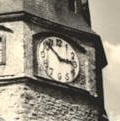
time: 2:53
